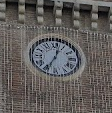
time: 12:34
